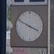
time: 3:49
